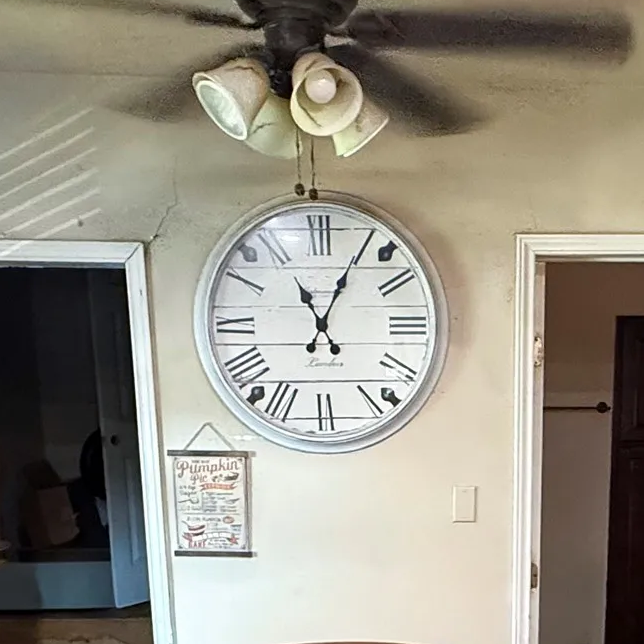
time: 11:04
